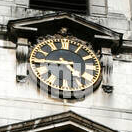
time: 5:44
